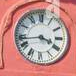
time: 3:43
